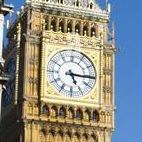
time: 5:15
